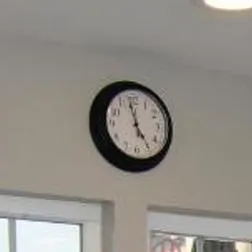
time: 4:58
